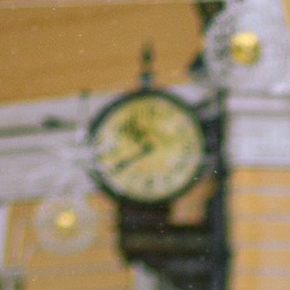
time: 10:39
